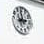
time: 2:58
